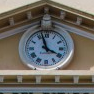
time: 3:57
